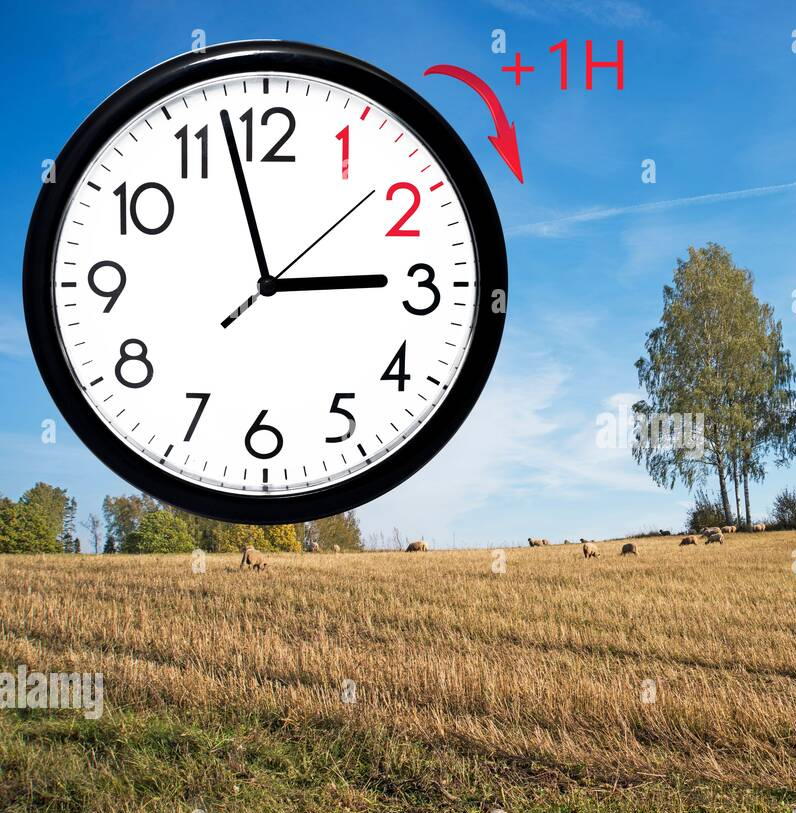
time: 2:57
